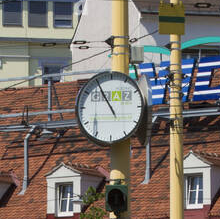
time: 10:54
